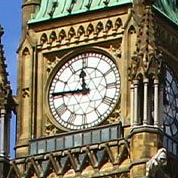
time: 11:45
